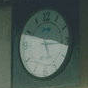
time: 5:16
